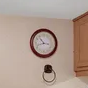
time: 10:42
